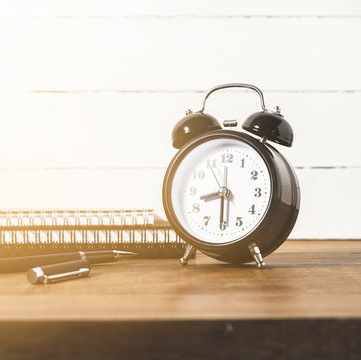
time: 8:30
